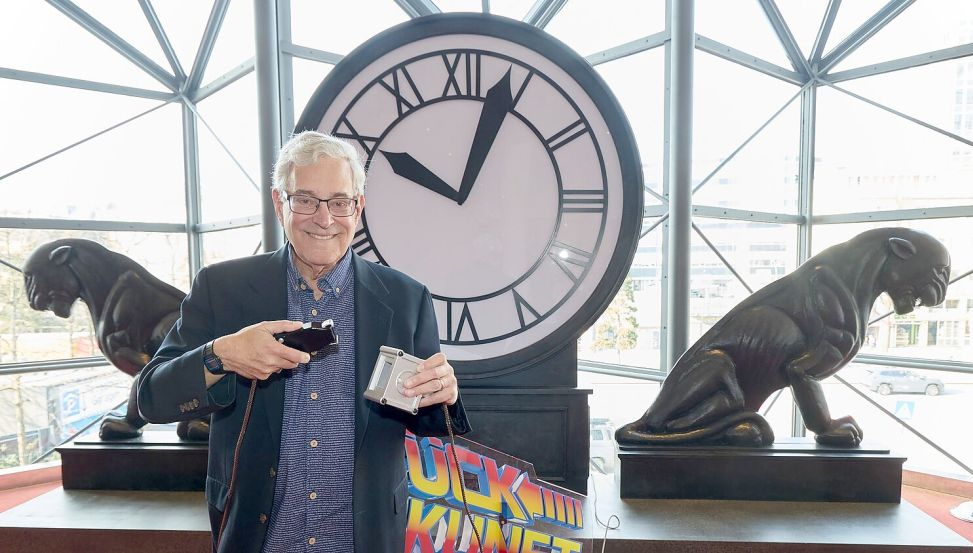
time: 10:03
